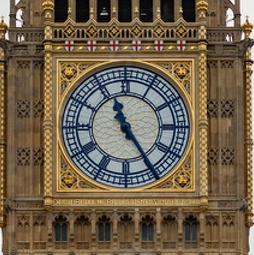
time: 11:24
